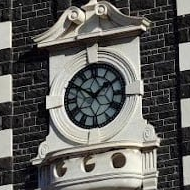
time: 1:50
